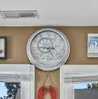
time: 4:45
